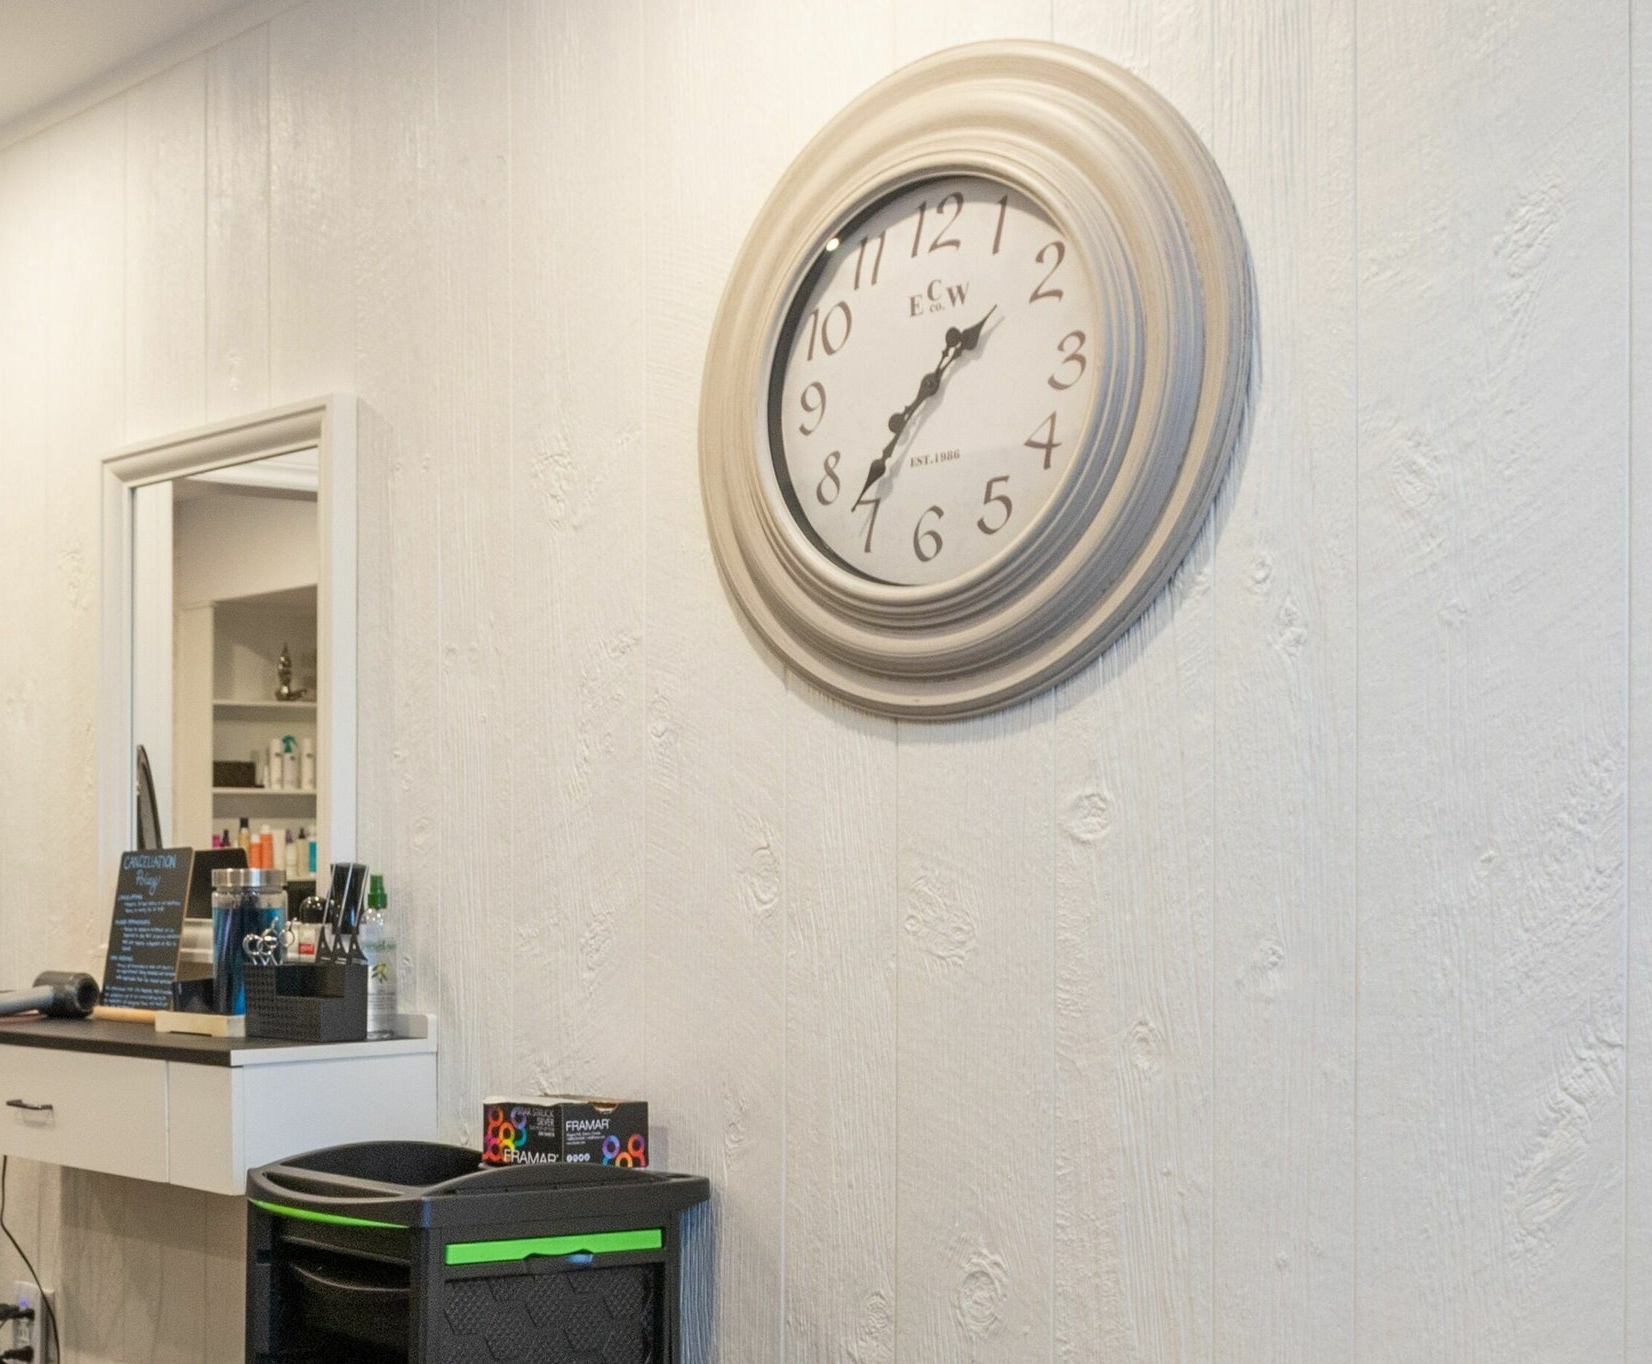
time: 1:36
